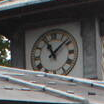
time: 11:07
